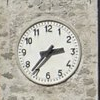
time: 2:36
